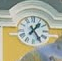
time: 1:24
